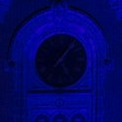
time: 5:05
